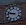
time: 9:47
